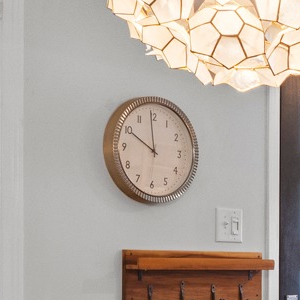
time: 9:59
